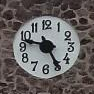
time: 9:25
